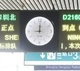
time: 9:00
